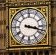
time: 3:17
